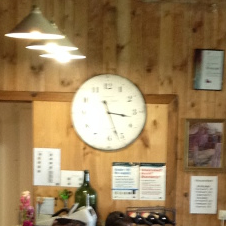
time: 3:26
